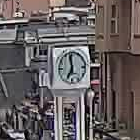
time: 6:58
